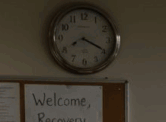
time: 8:19
